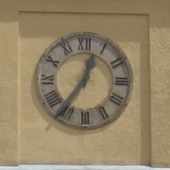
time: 12:36
